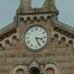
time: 3:26
